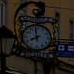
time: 7:59
